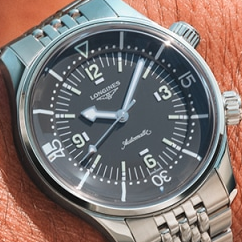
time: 9:03
